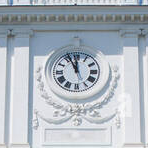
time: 11:55
